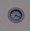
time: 7:18
